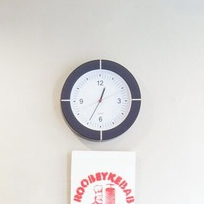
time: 12:34
